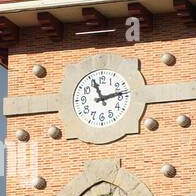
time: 11:13
